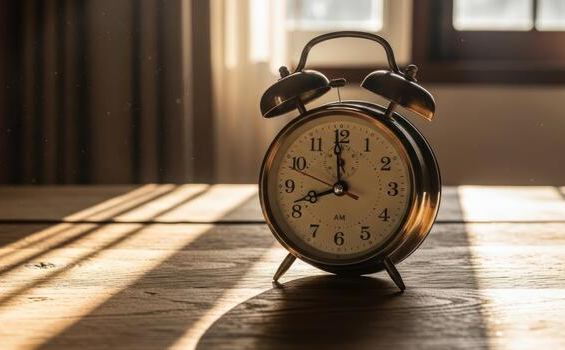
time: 7:59
